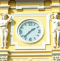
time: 1:37
